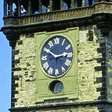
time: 2:50
